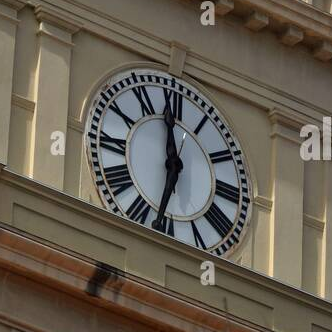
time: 11:32
